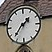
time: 1:36
